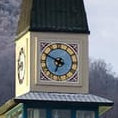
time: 6:49
